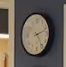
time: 2:24
